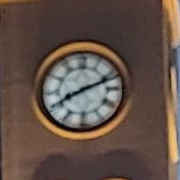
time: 8:11
